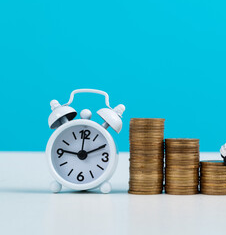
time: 9:10
